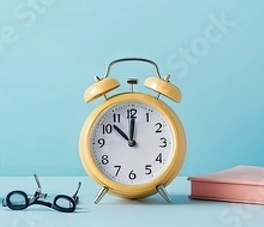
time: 11:52
